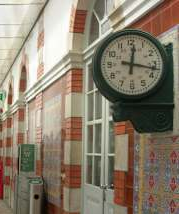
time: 12:16
